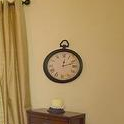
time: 12:12
